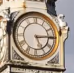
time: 5:14
